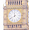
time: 11:40
